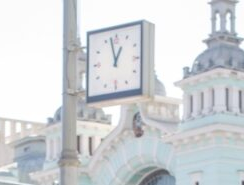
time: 12:57
